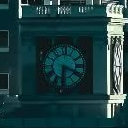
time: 6:18
